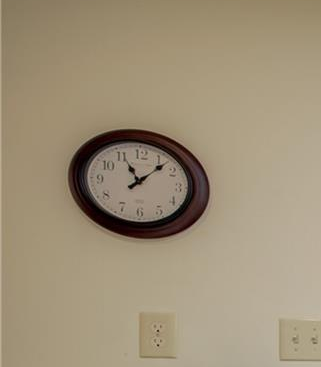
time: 11:07
